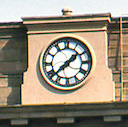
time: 1:38
